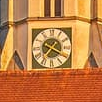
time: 7:19
